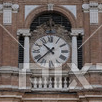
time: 10:37
